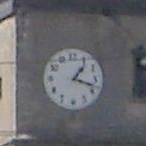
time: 1:18
